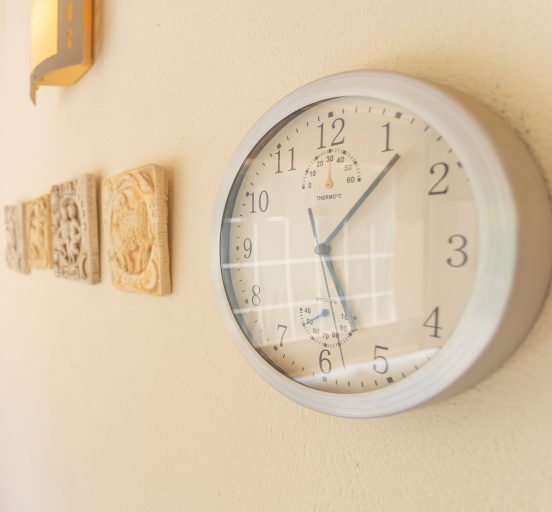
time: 5:06
